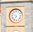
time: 6:50
